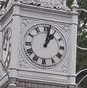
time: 1:01
